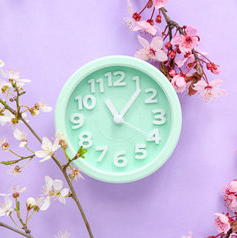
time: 11:06
